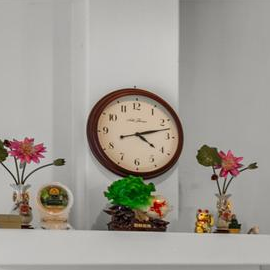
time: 4:12
